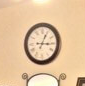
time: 3:04
